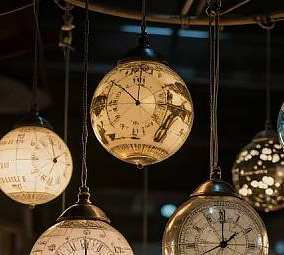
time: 11:50
